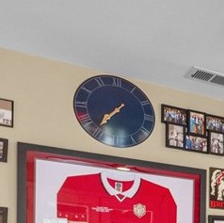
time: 7:36
